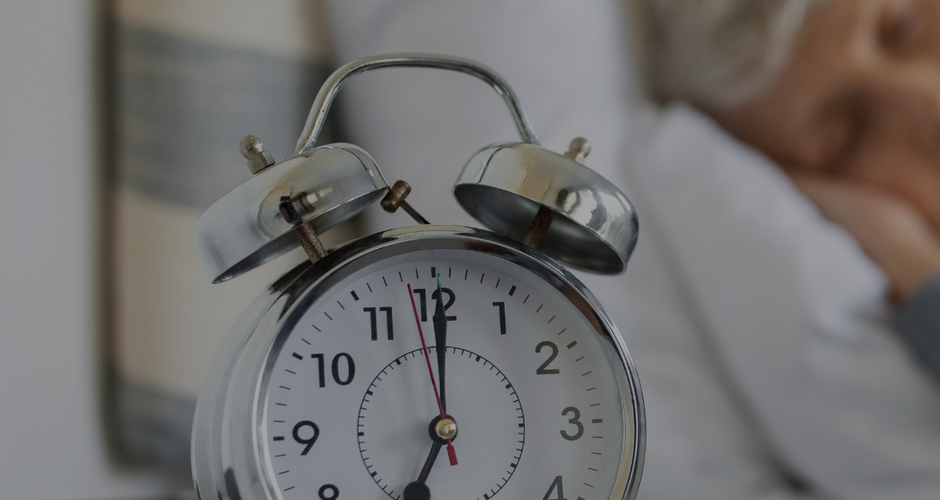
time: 7:00
